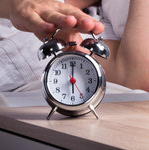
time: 6:00
